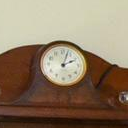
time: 2:03
